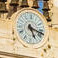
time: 5:18
